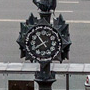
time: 10:39
